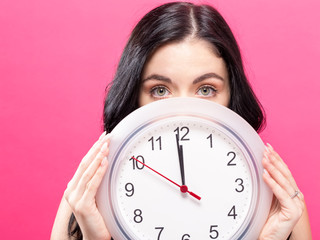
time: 11:58
